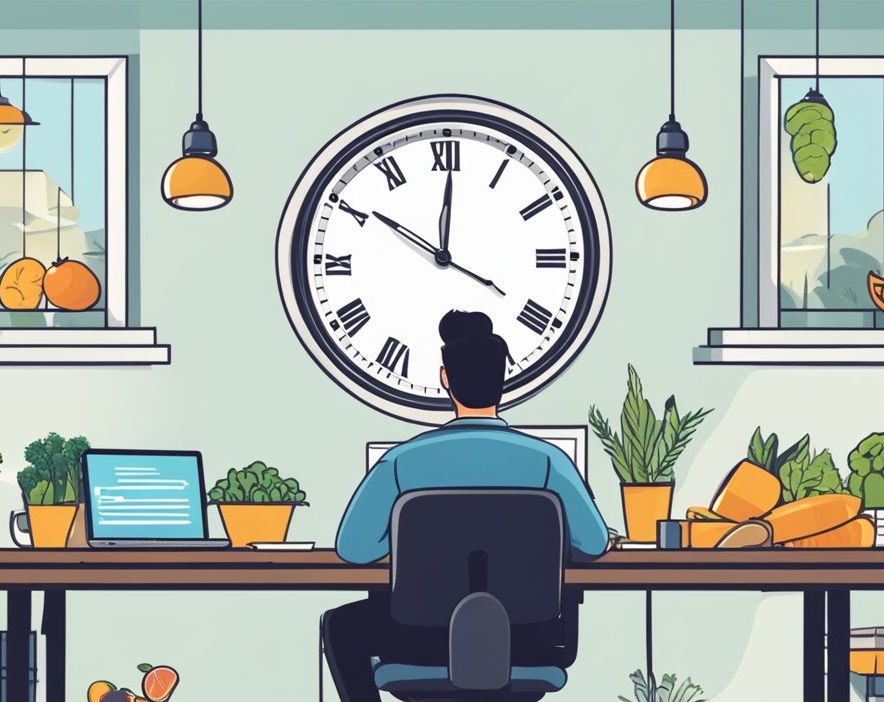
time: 10:00
